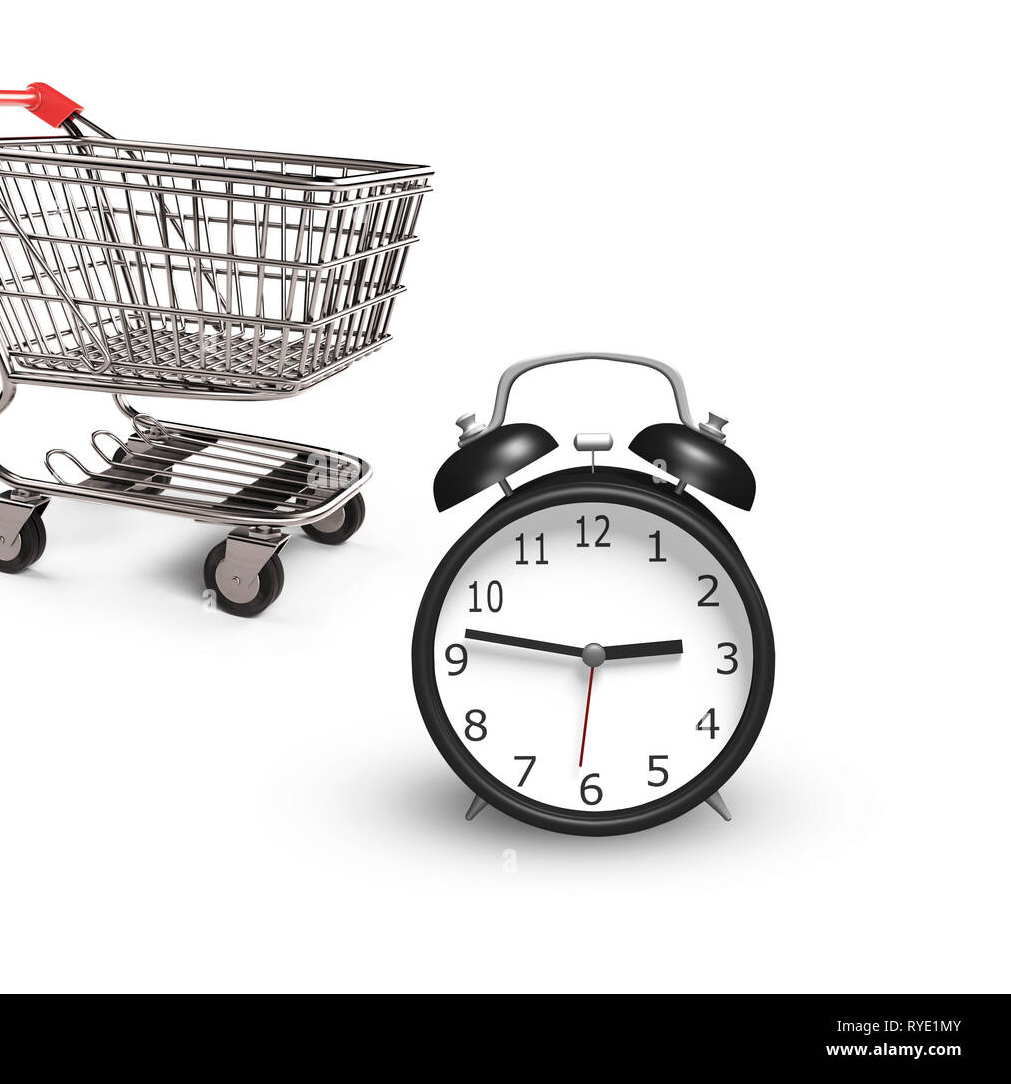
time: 2:46
